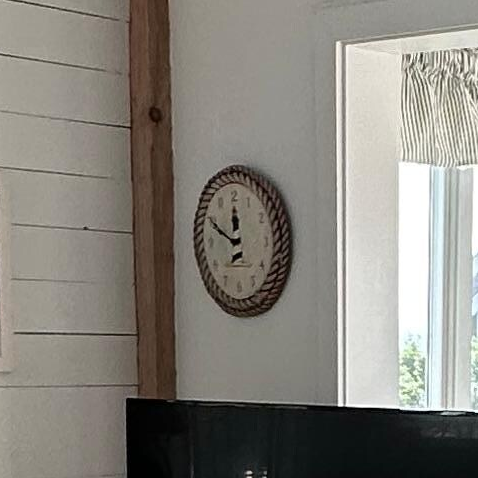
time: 11:49
